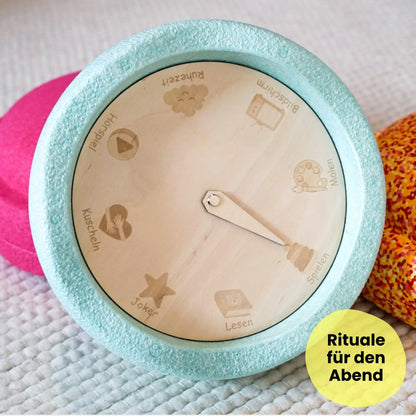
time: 3:34
